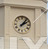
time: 2:06
